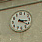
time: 3:21
